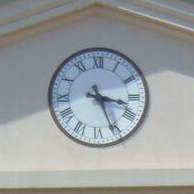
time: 3:26
